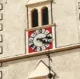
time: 4:13
